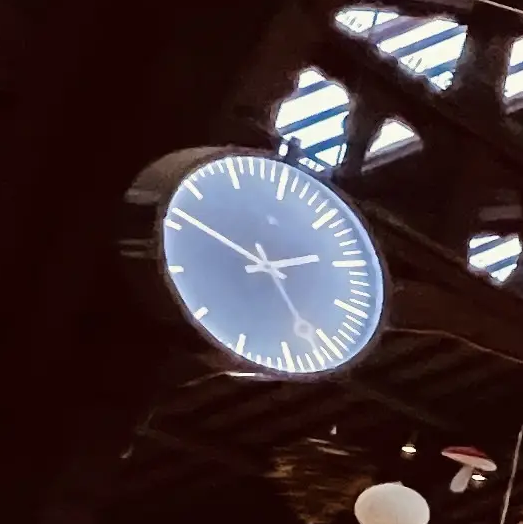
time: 2:51
